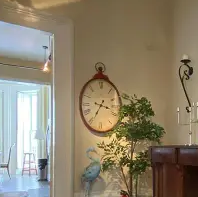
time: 3:34
